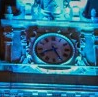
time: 8:25
